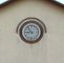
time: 8:53
